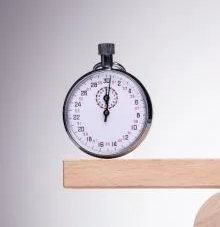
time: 12:01
